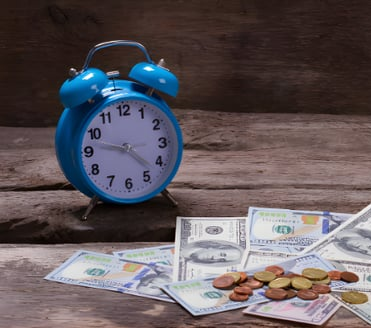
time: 9:22
